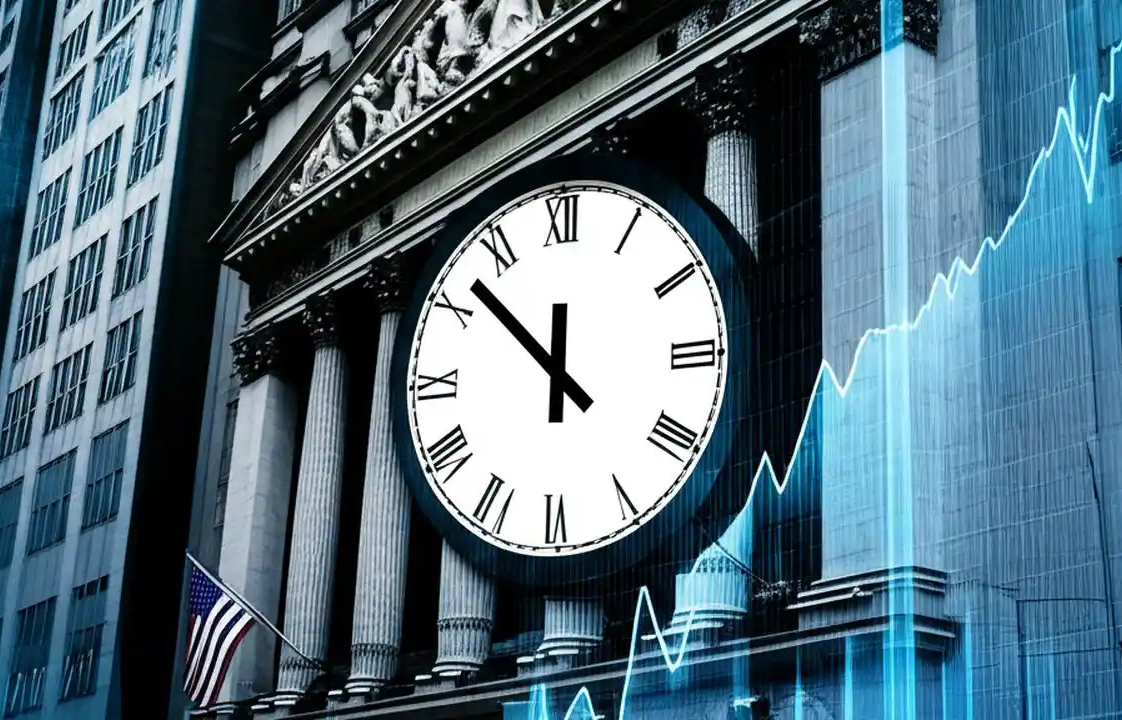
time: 11:52
